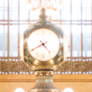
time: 4:40
